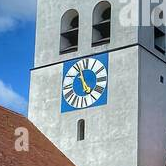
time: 4:57
